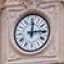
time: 12:14
